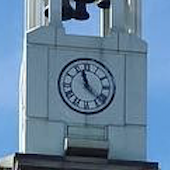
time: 11:22
